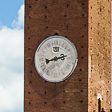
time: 8:12
